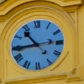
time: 10:44
